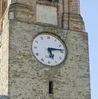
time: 5:13
